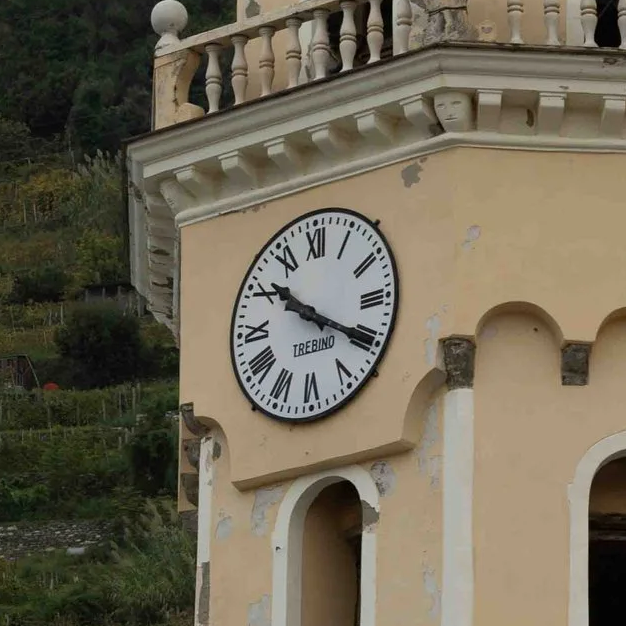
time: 10:19
